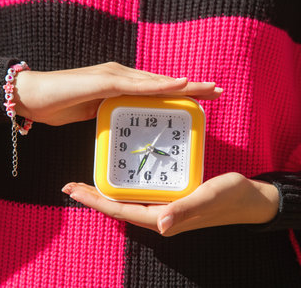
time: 3:33
